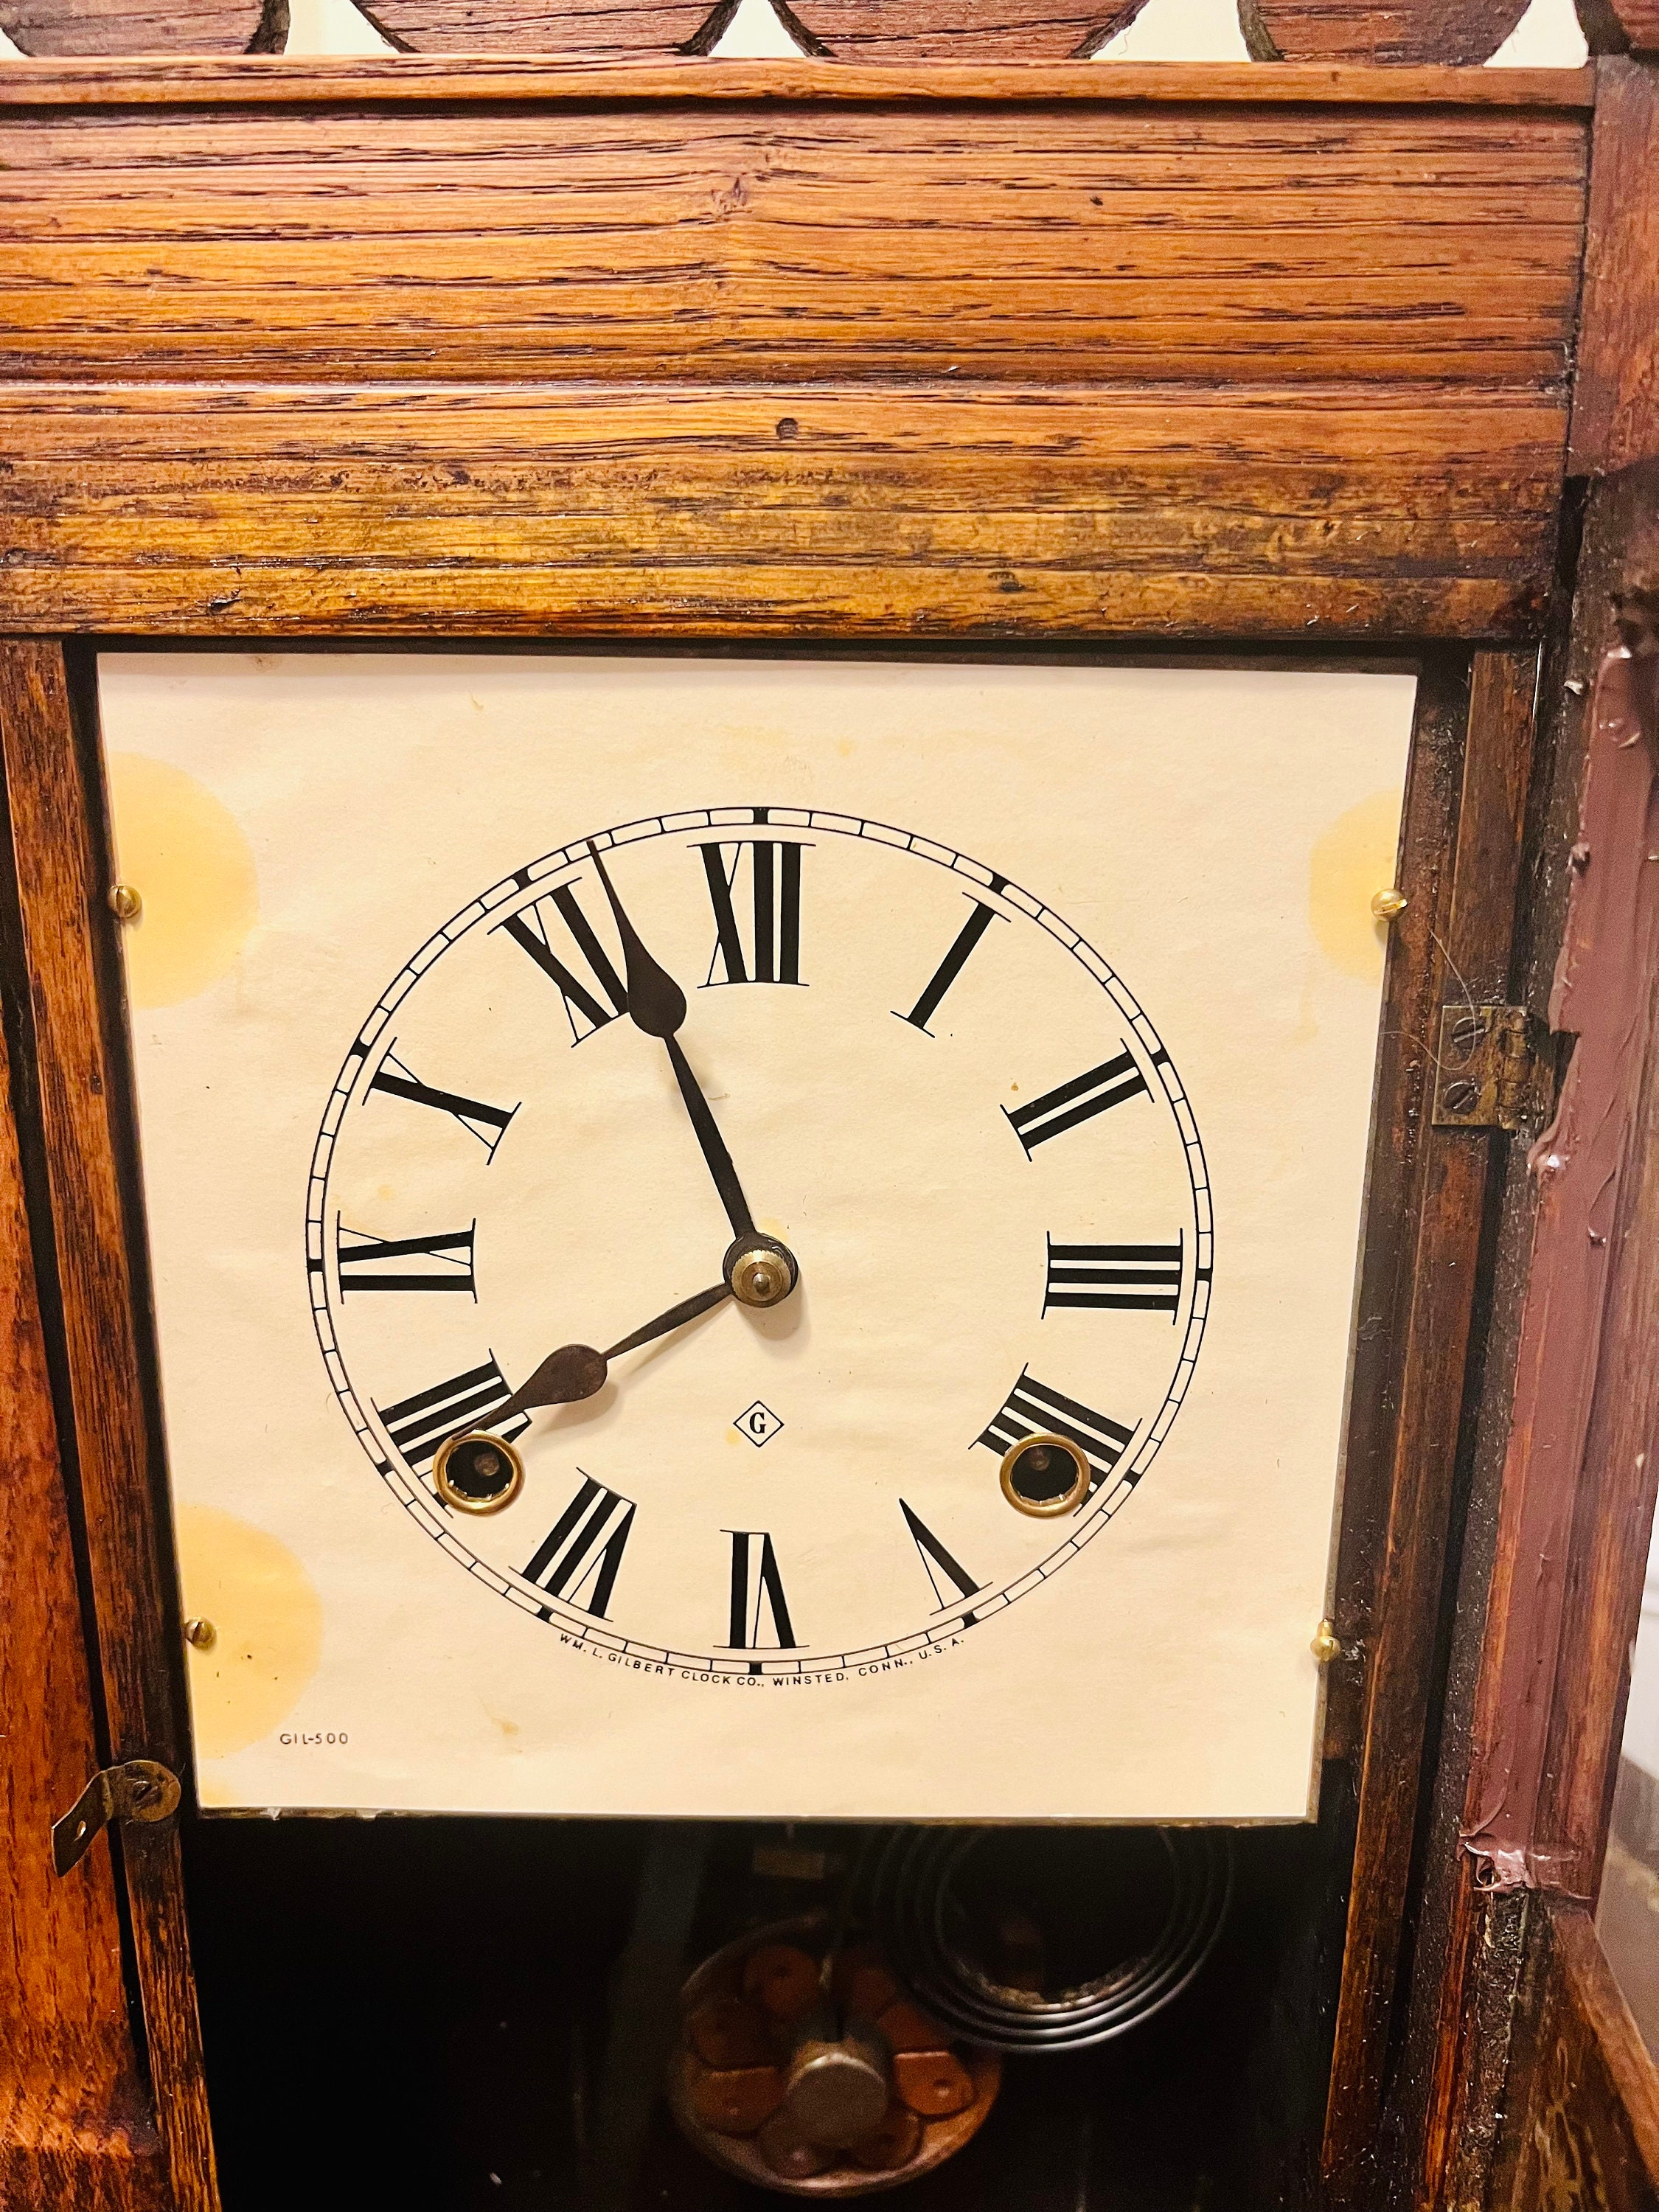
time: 7:56
